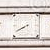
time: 7:39
